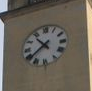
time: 10:38
